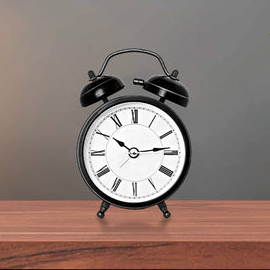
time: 10:13
